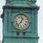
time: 12:36
